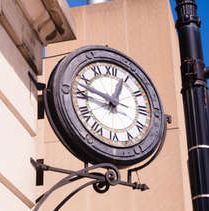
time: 12:47
